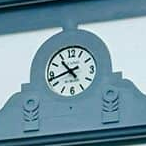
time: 10:42
